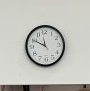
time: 11:49
